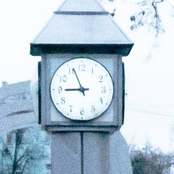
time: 8:56
